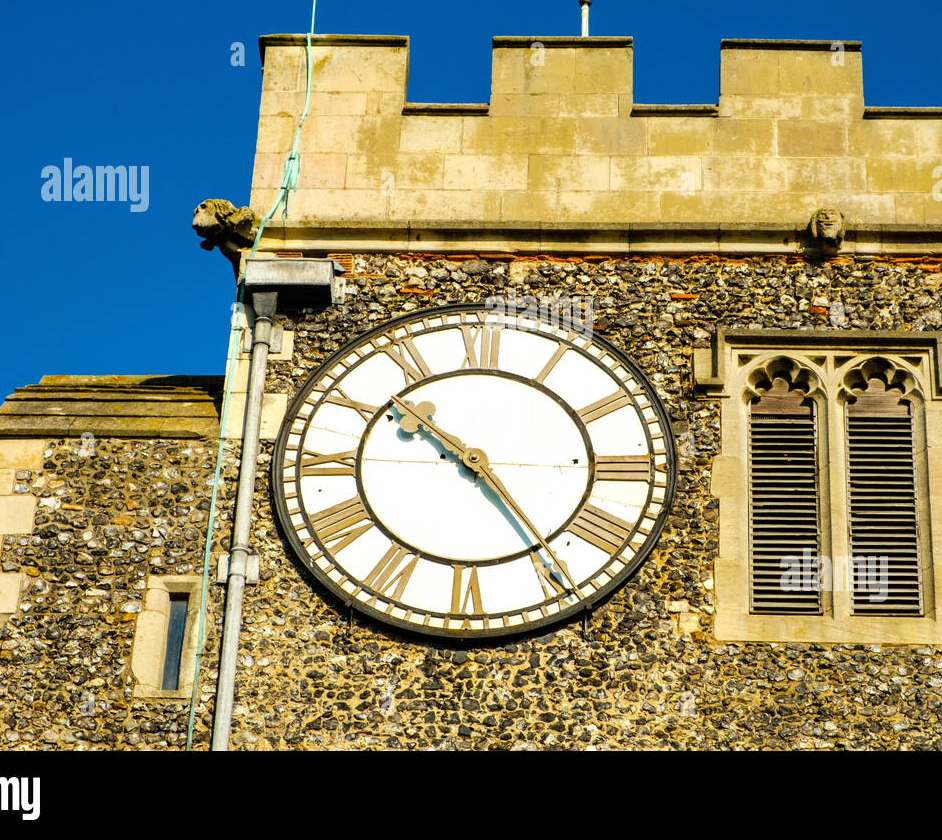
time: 10:24
